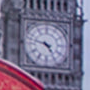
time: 4:47
